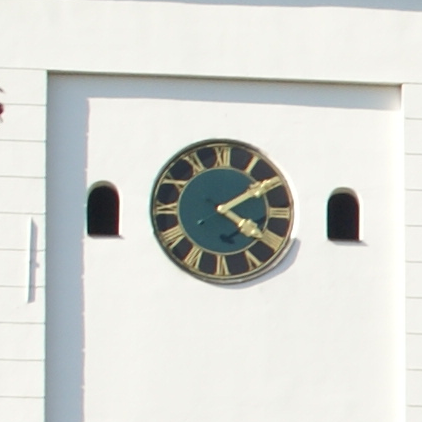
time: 4:09
